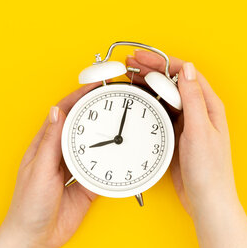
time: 8:00
